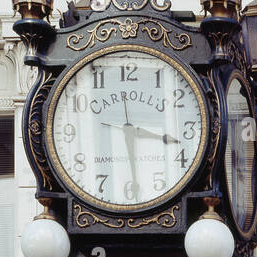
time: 3:29
